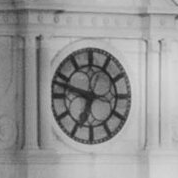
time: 6:47
